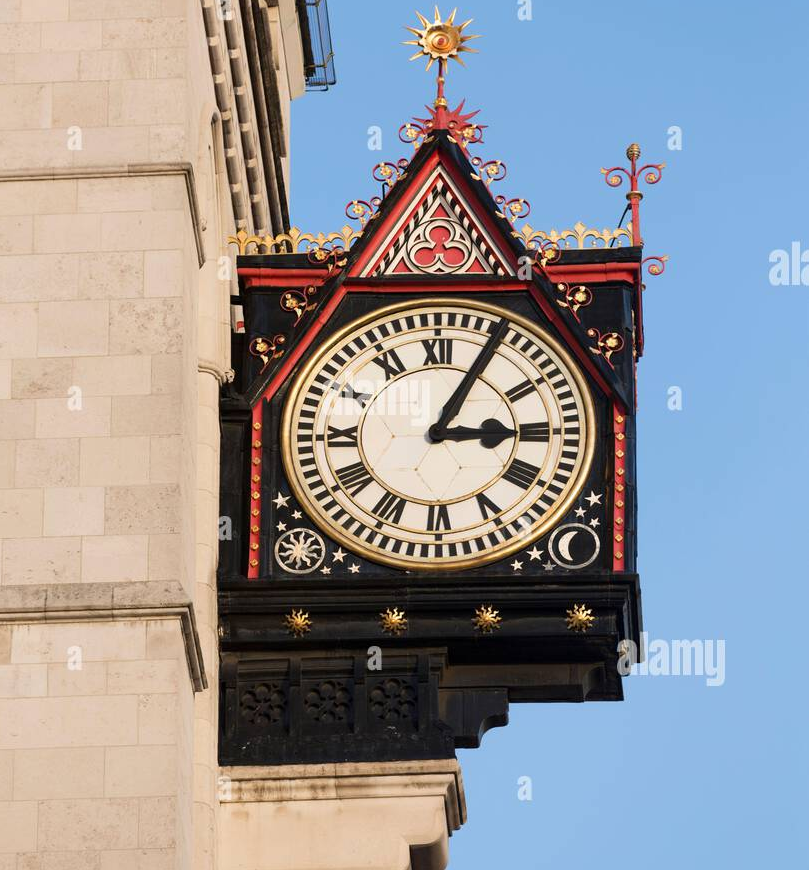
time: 3:04
